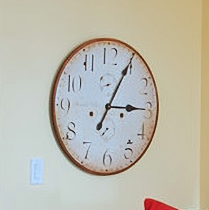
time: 3:04
